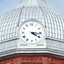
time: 4:16
